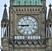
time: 8:45
